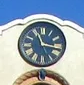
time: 11:16
